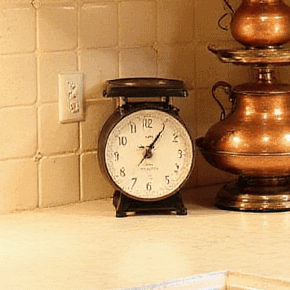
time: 1:05
